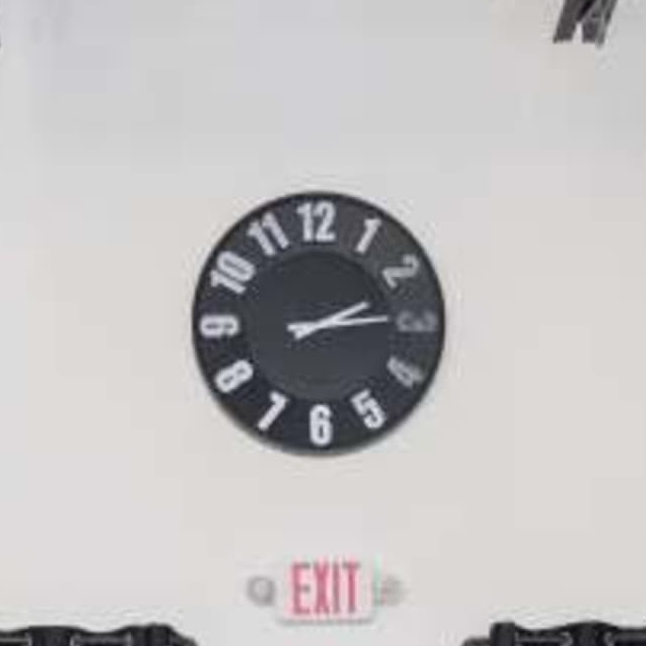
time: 2:14
